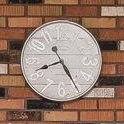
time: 8:24
